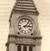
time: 3:06
